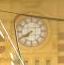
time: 7:40
